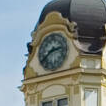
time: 2:38
